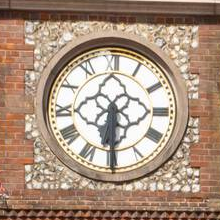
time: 6:30
